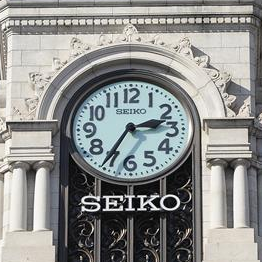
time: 2:35
